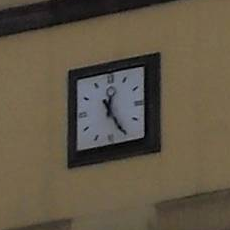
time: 12:24
